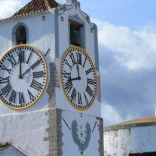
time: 11:42
